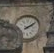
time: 2:09
